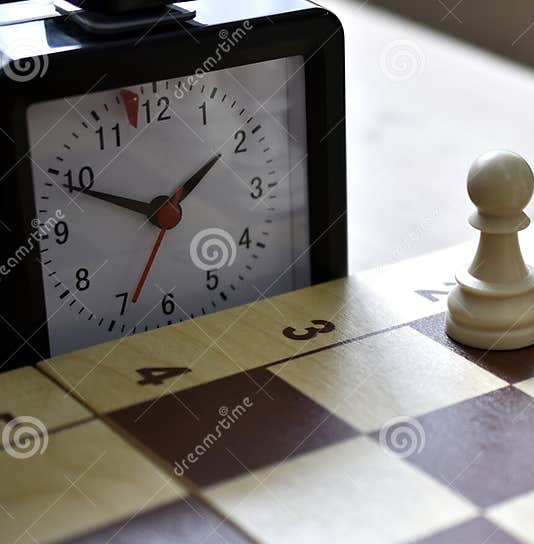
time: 1:49
